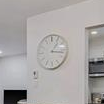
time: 1:16
